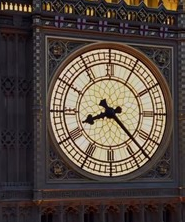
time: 8:22
